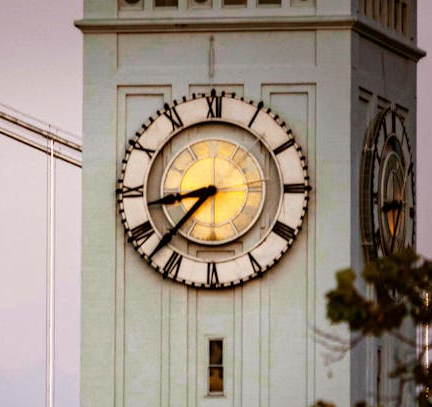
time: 8:37
